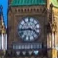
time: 3:43
